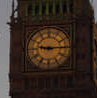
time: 9:14
